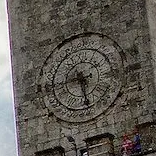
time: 8:27
